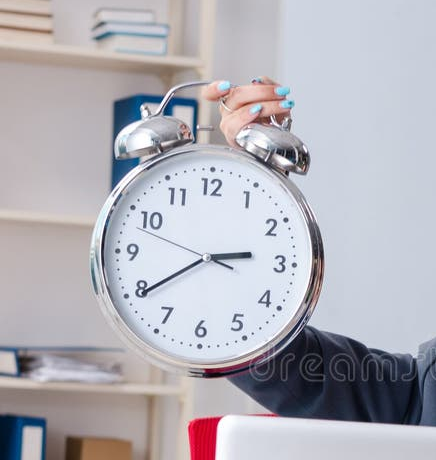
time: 2:39
